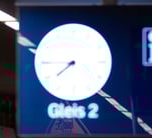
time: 7:44
